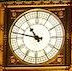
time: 10:47
